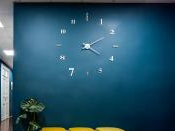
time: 4:10
